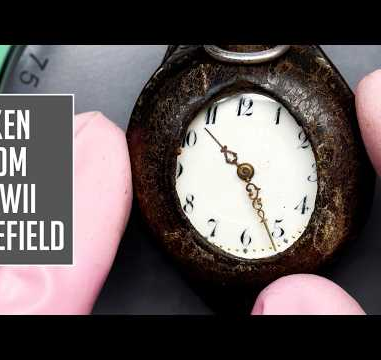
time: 10:26
